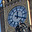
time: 12:18
